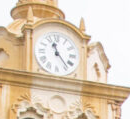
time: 11:23
